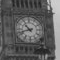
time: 10:42
